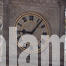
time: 9:07
